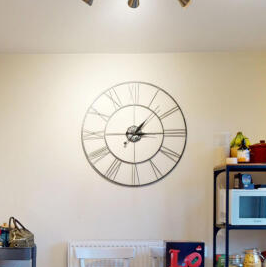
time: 1:14
